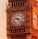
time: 9:22
